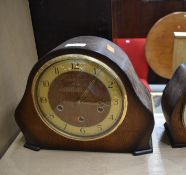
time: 1:16
